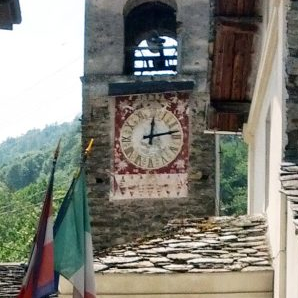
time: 12:13
